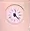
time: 6:22
